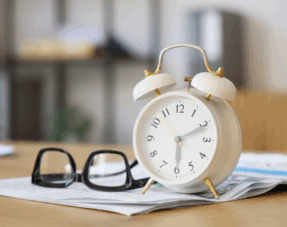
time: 6:10
